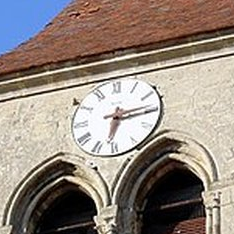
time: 6:15
